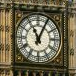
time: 11:04
